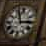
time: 2:56
